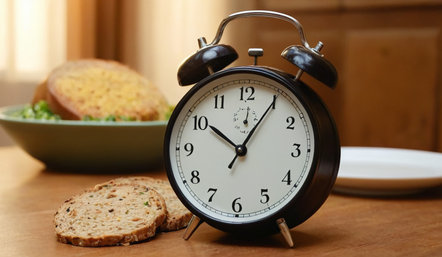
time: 10:05
